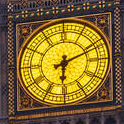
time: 6:11
